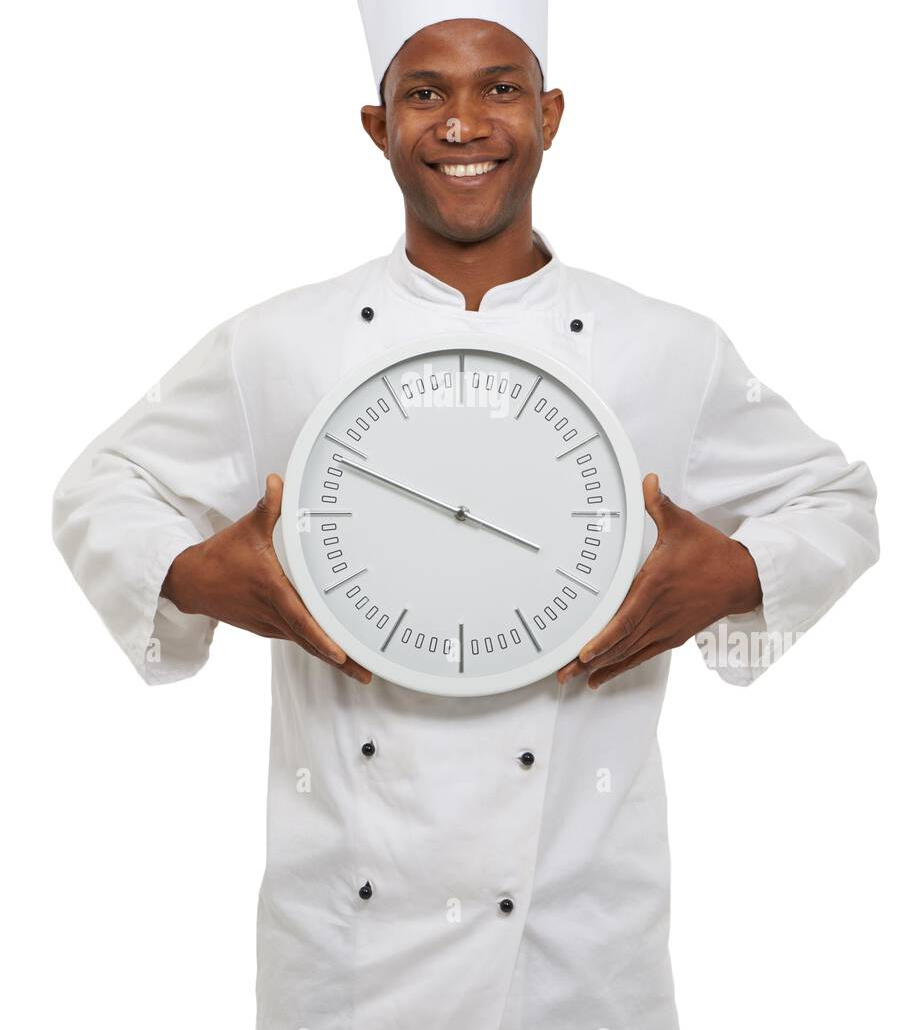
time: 3:48
